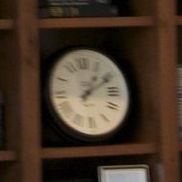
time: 1:10
